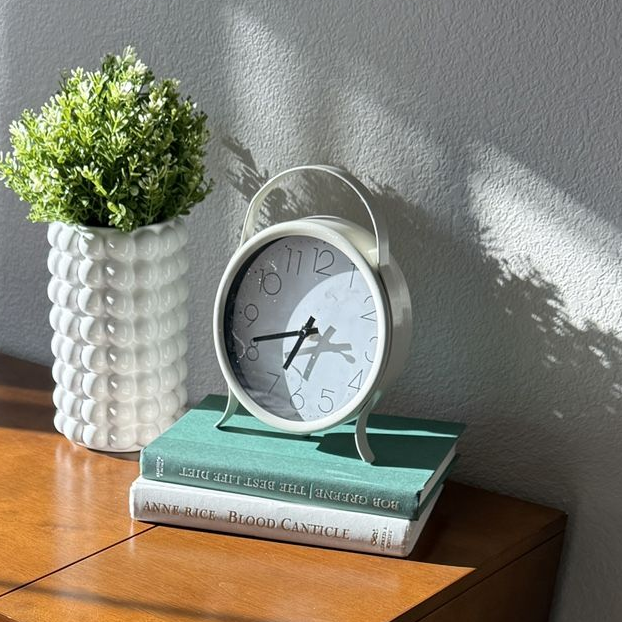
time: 6:41
